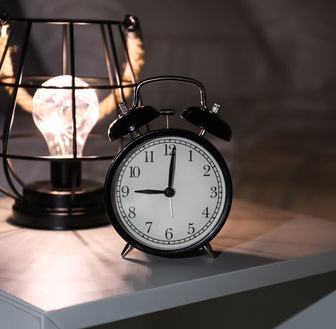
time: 9:01
